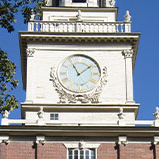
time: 11:07
